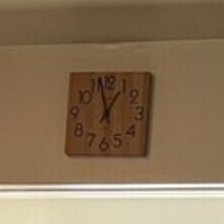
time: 12:57
